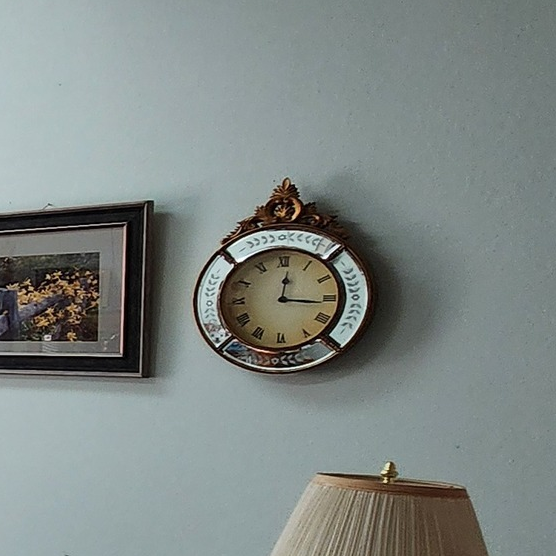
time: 12:16
